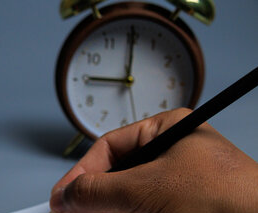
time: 9:00
